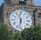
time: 11:32
